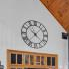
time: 10:07
